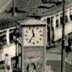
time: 11:35
